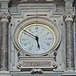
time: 5:51
